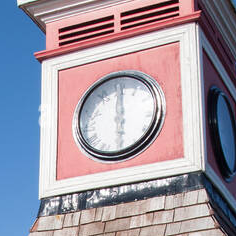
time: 6:00
